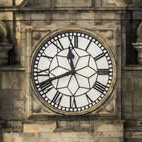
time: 11:41
